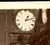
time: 1:12
